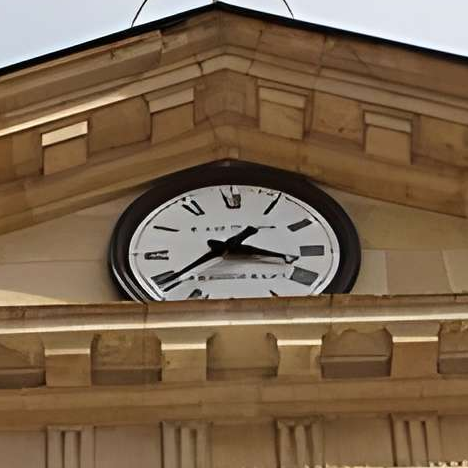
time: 3:38
